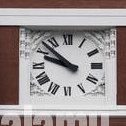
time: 9:52
